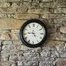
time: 4:45
